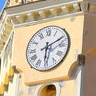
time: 6:10
